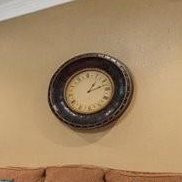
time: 1:12
